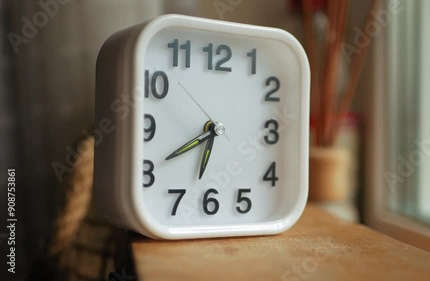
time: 6:40
